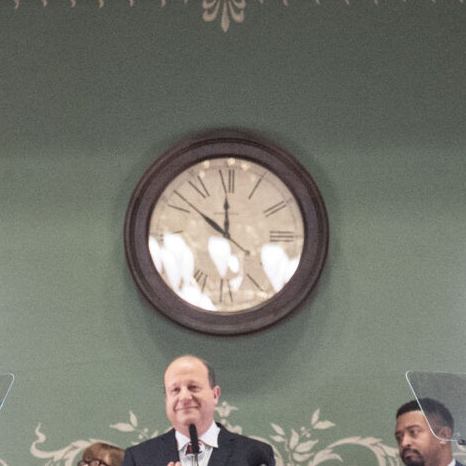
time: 11:51
